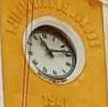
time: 11:13
